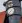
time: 7:37
